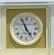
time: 4:56
